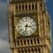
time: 3:32
